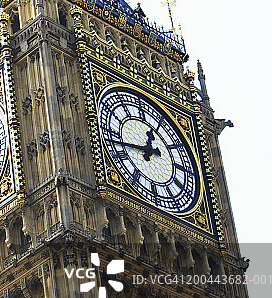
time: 12:42
